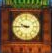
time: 9:44
